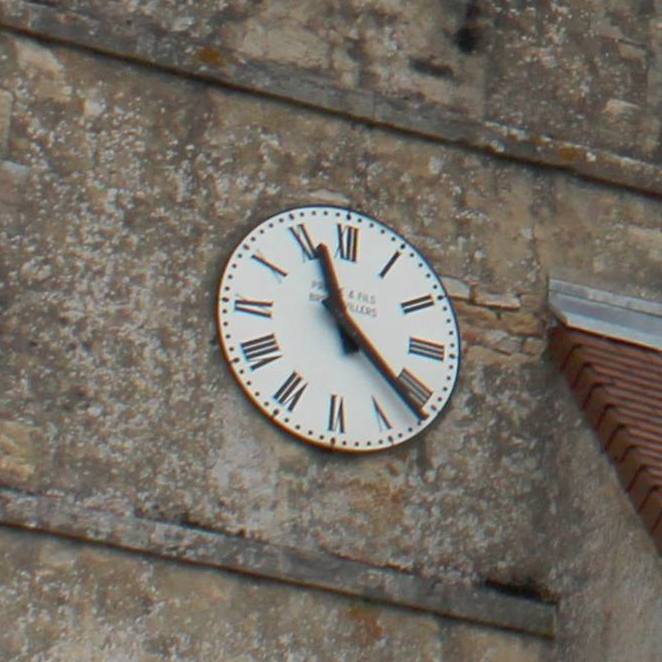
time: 11:21
